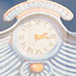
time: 2:16
